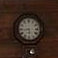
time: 5:44
